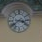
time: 3:39
